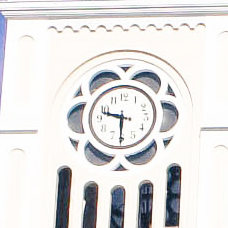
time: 9:30
